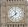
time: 11:38
